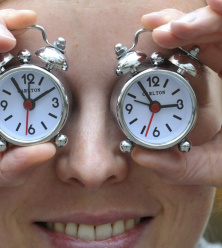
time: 2:54
